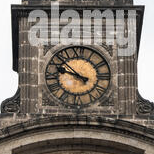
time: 9:52
